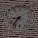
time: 8:36
